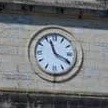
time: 11:19
